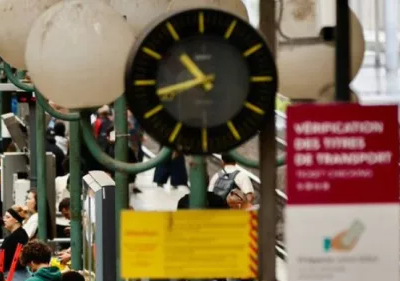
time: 10:42
